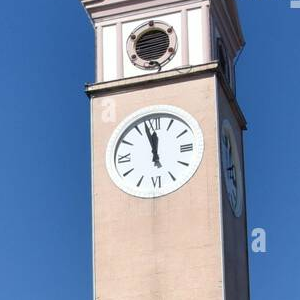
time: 11:57
